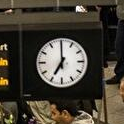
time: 6:59
